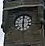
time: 6:00
